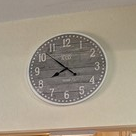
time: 7:52
